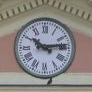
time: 10:13
